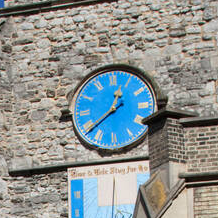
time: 12:38
